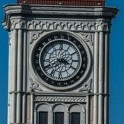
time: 3:40
